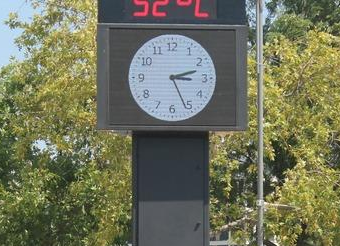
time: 2:26
